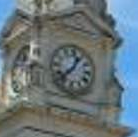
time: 12:37
